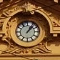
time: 1:07
